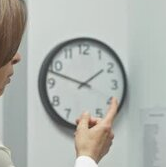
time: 1:47
